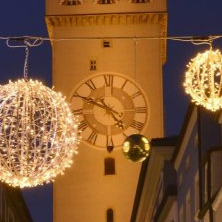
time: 4:49
